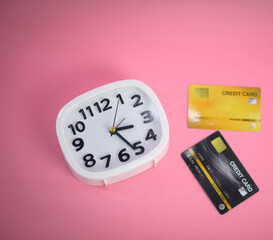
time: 3:26
